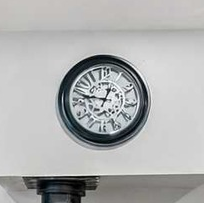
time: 12:46
